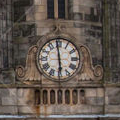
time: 5:59
